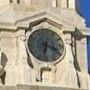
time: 6:18
